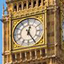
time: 12:24
